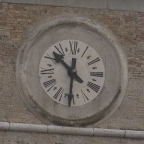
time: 10:30
